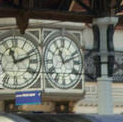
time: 11:11
